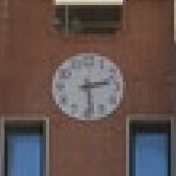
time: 2:29
